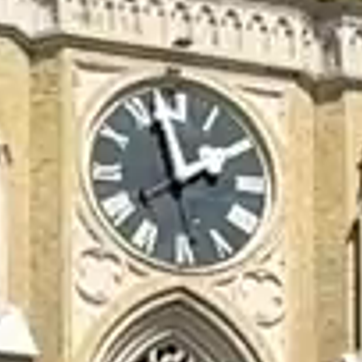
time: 1:57
